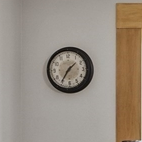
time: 1:35
